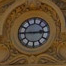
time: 2:45
